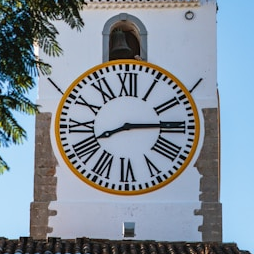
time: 8:14
